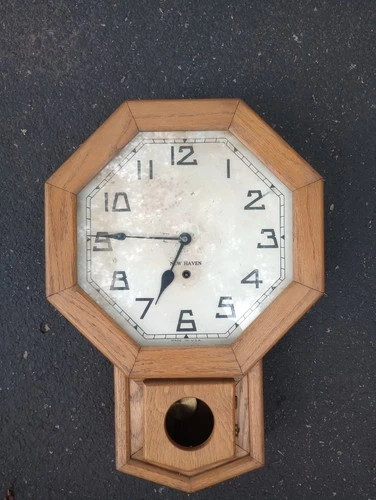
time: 6:45
